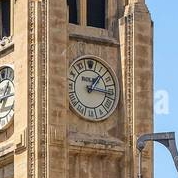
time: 1:16
